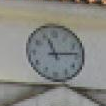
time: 11:13
